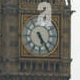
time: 5:24
